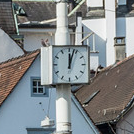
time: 12:03
